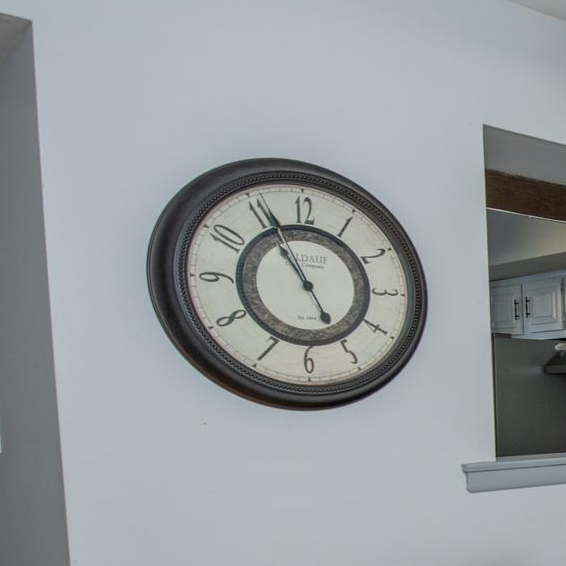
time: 4:55
